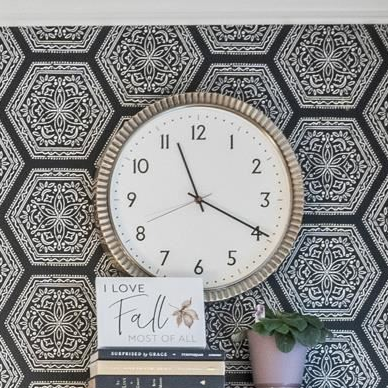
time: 11:19
